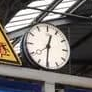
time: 12:30
